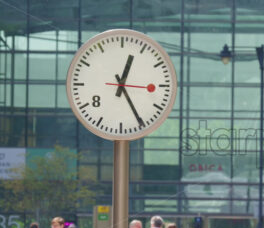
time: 12:25
